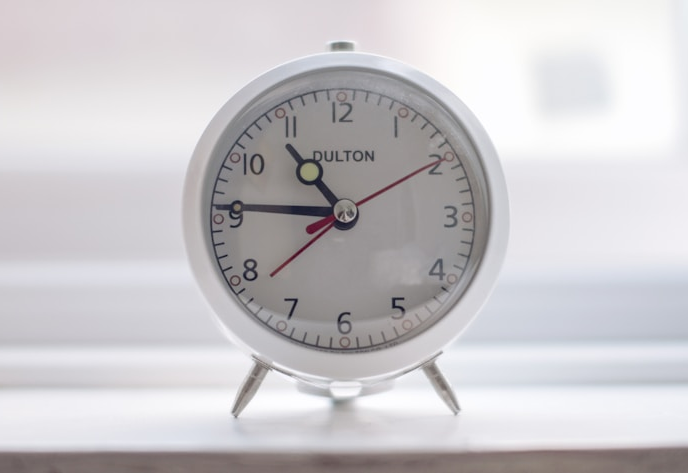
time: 10:45
